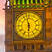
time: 5:57
